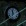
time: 11:32
